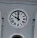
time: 9:59
